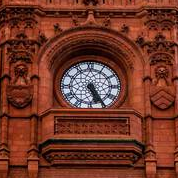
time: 5:24
